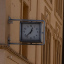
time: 12:37
